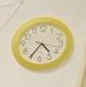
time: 4:35
